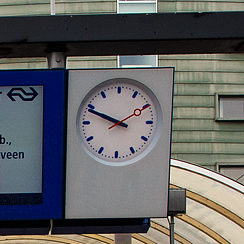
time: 9:48
